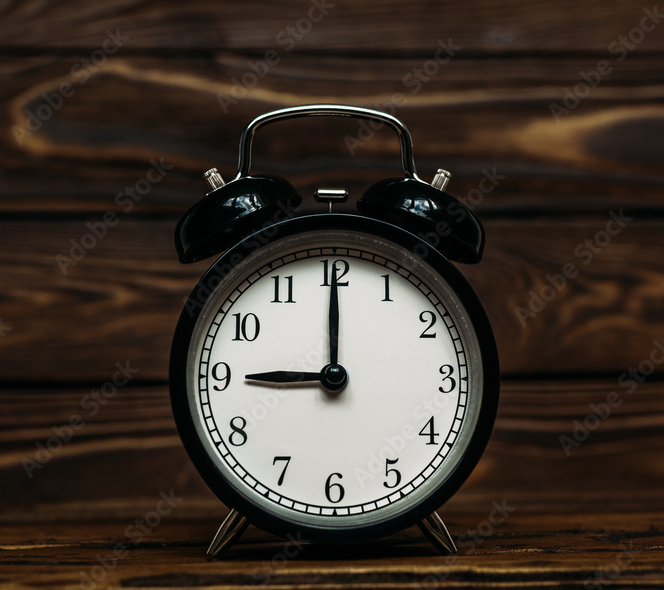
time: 9:00
